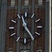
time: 11:24
